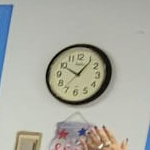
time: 10:06
